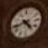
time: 4:42
